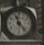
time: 11:22
